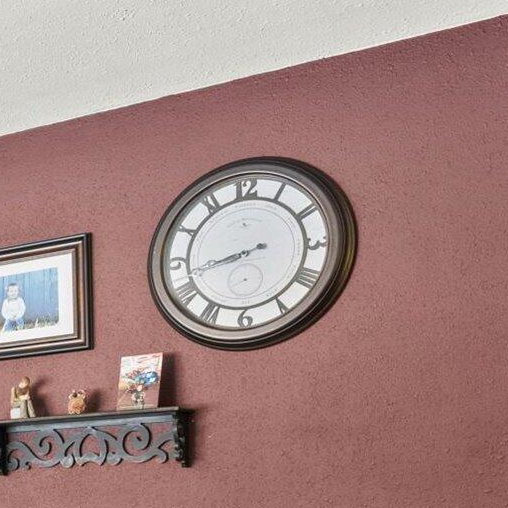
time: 8:42
